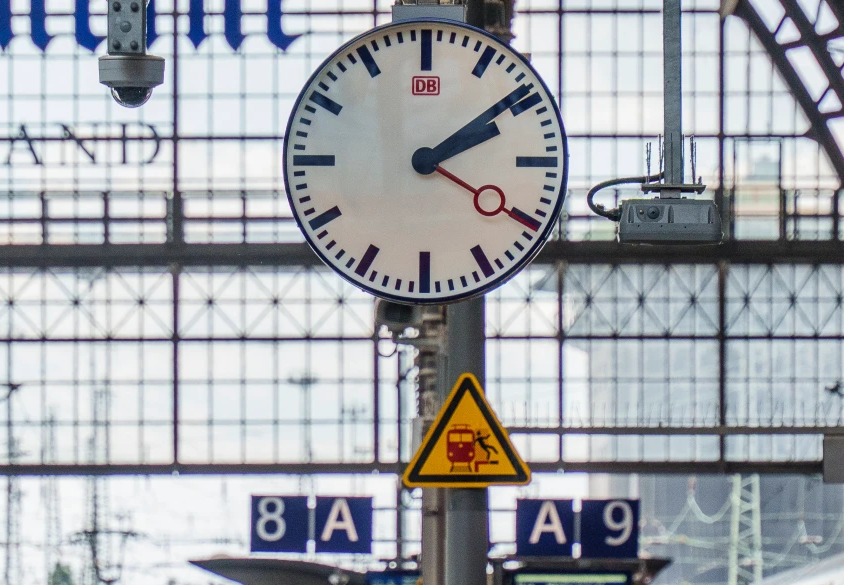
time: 2:09
